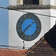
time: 1:37
